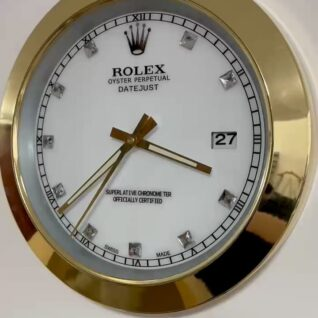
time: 3:36
